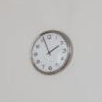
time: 1:56
